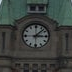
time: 3:07
